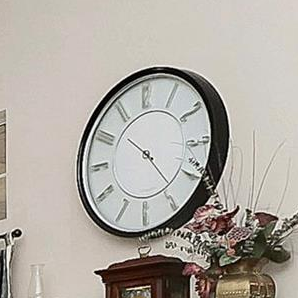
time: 10:24
